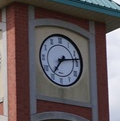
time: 7:13
